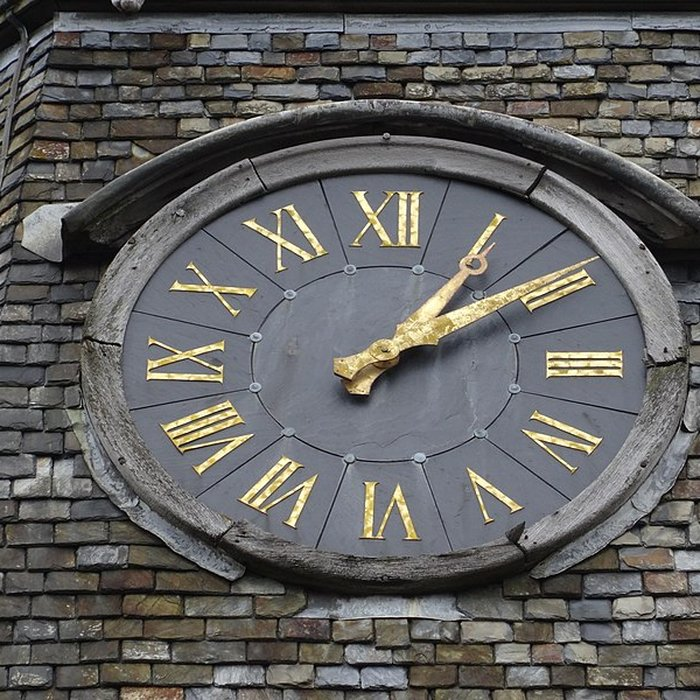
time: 1:09
